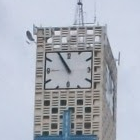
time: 10:55
